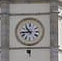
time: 10:43
